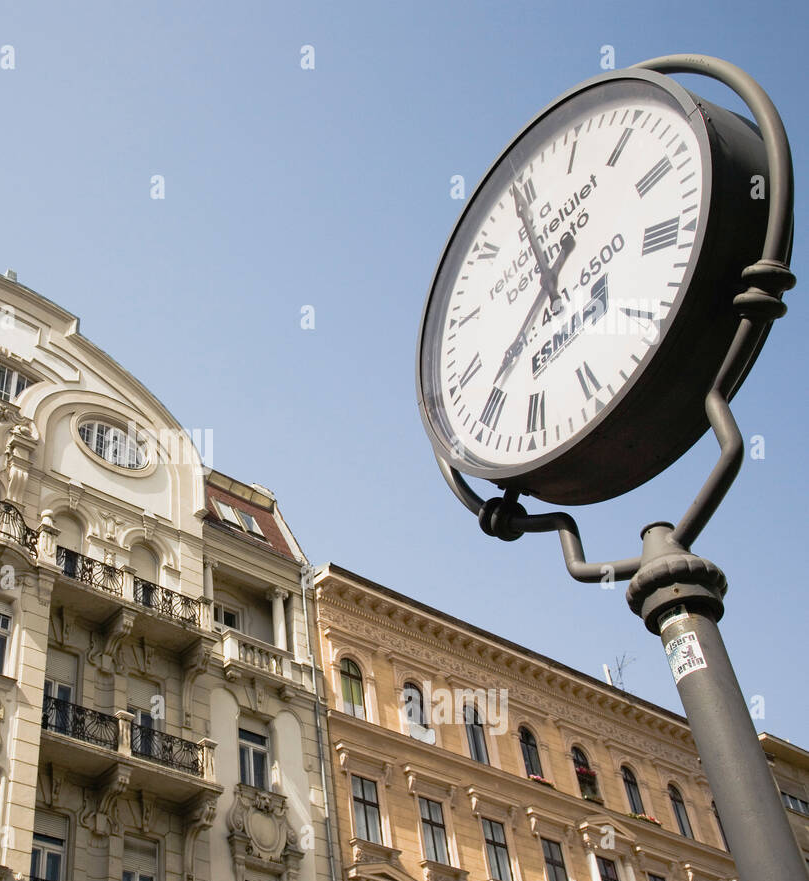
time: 12:35
